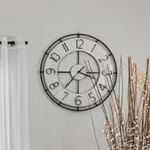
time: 7:15
